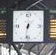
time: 6:32
